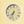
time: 7:32
